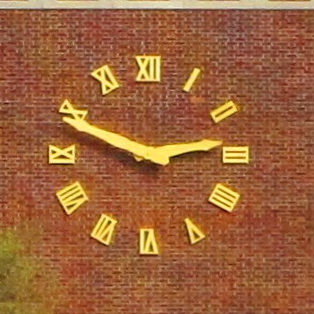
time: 2:49
